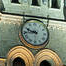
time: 9:43
